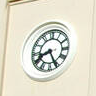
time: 8:25
